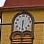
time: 6:30
